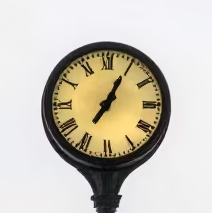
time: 7:04
